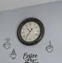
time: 10:36
